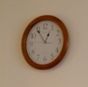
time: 12:54
